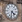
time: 4:31
